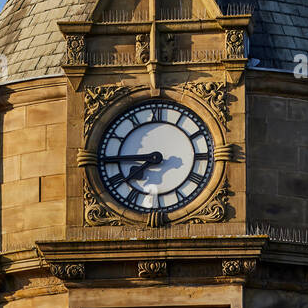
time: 7:44
